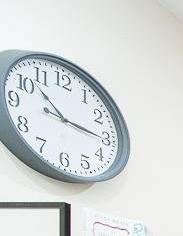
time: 10:15
